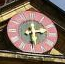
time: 2:29
